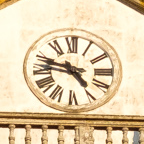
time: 4:46
